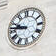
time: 9:45
